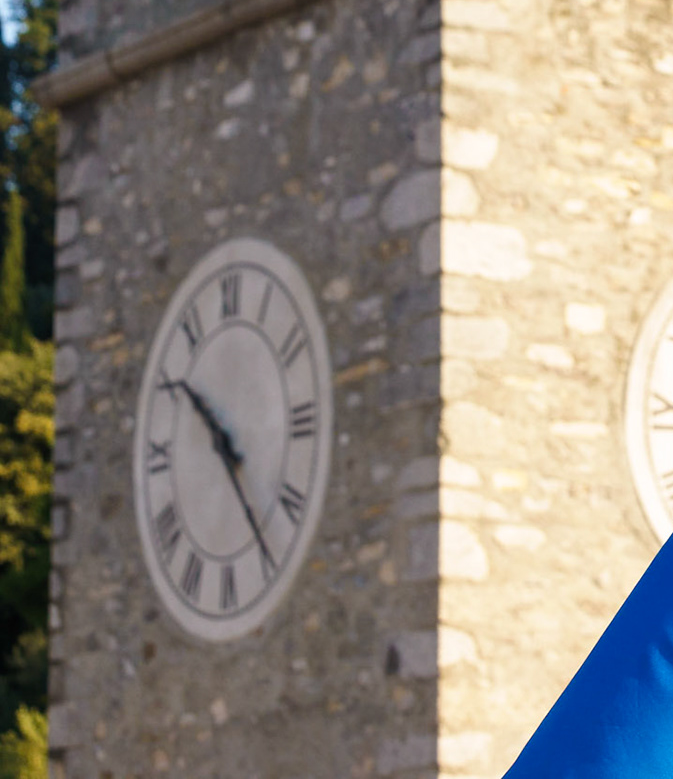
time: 10:24
